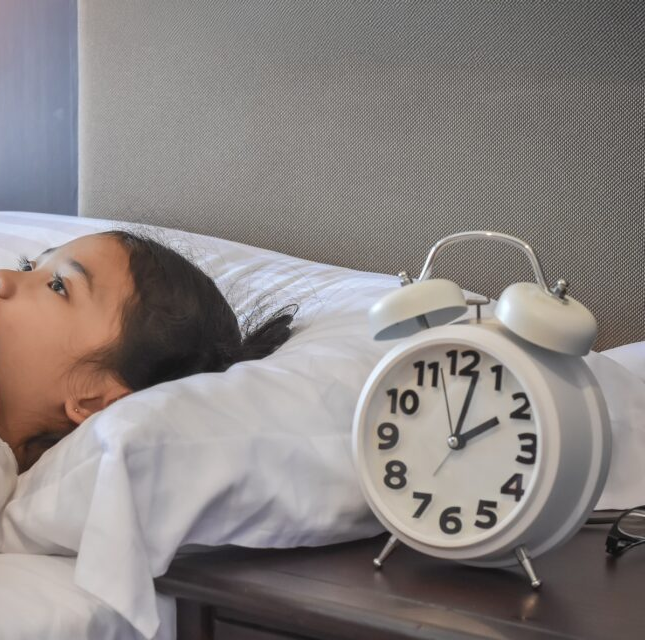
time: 2:02
